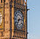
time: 7:12
